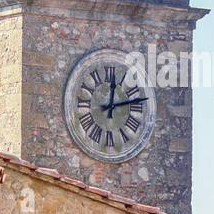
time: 12:13
